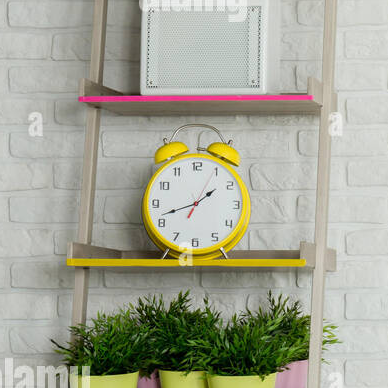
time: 1:41
